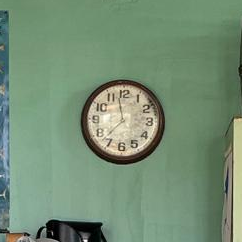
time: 11:37
